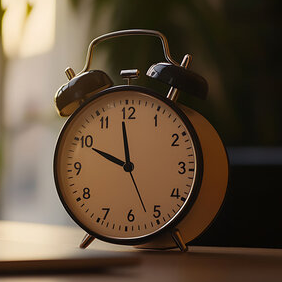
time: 9:58
